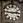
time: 2:45
